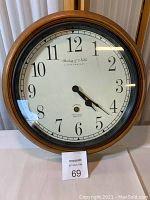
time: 4:21
